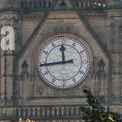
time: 11:44
